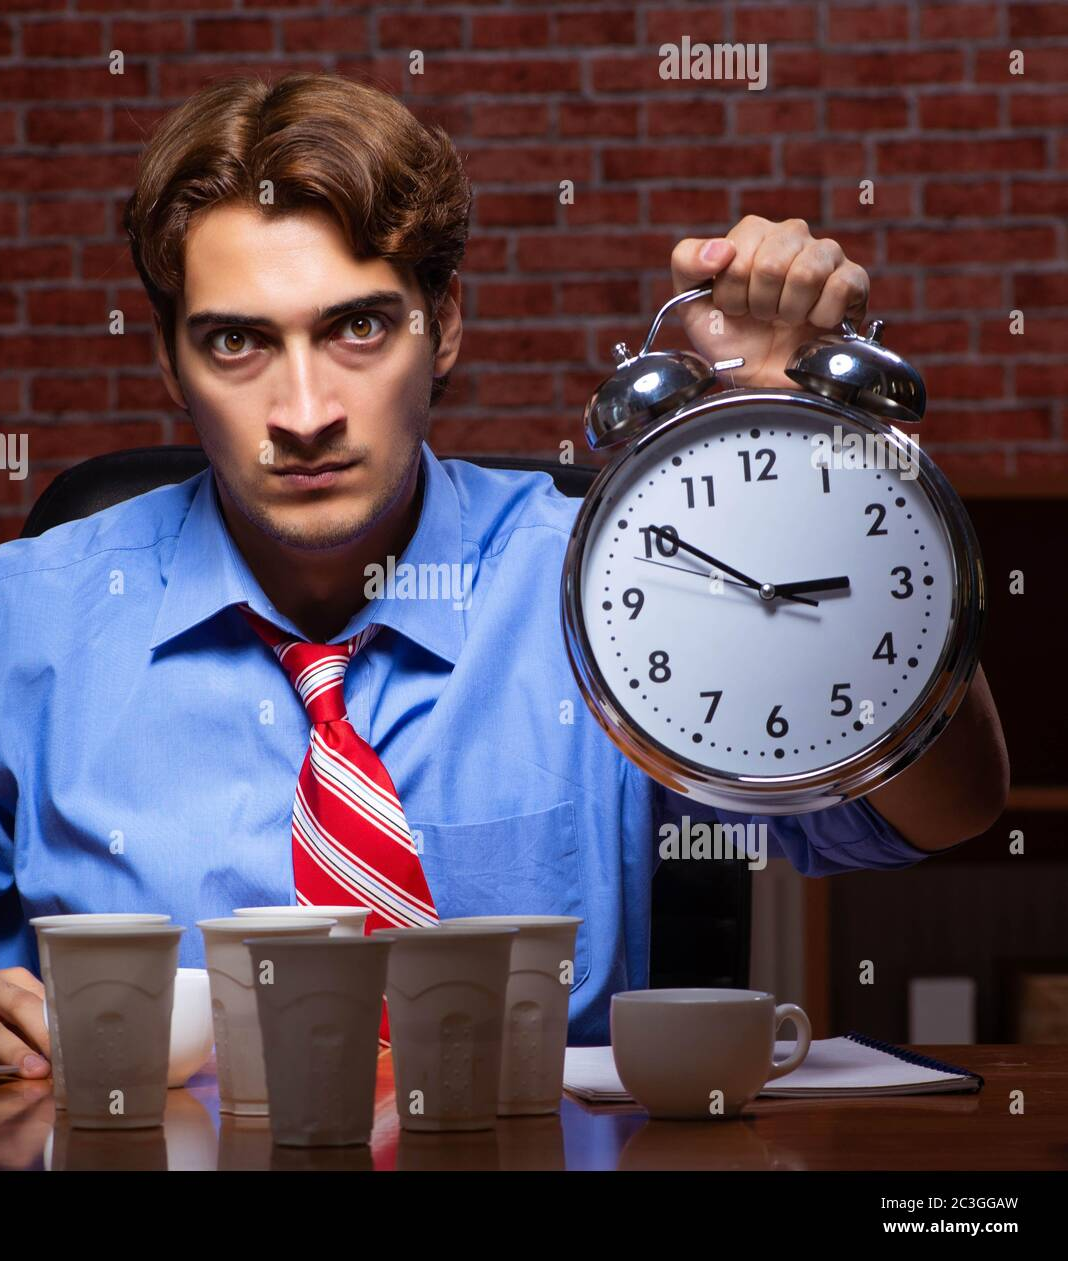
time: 2:50
